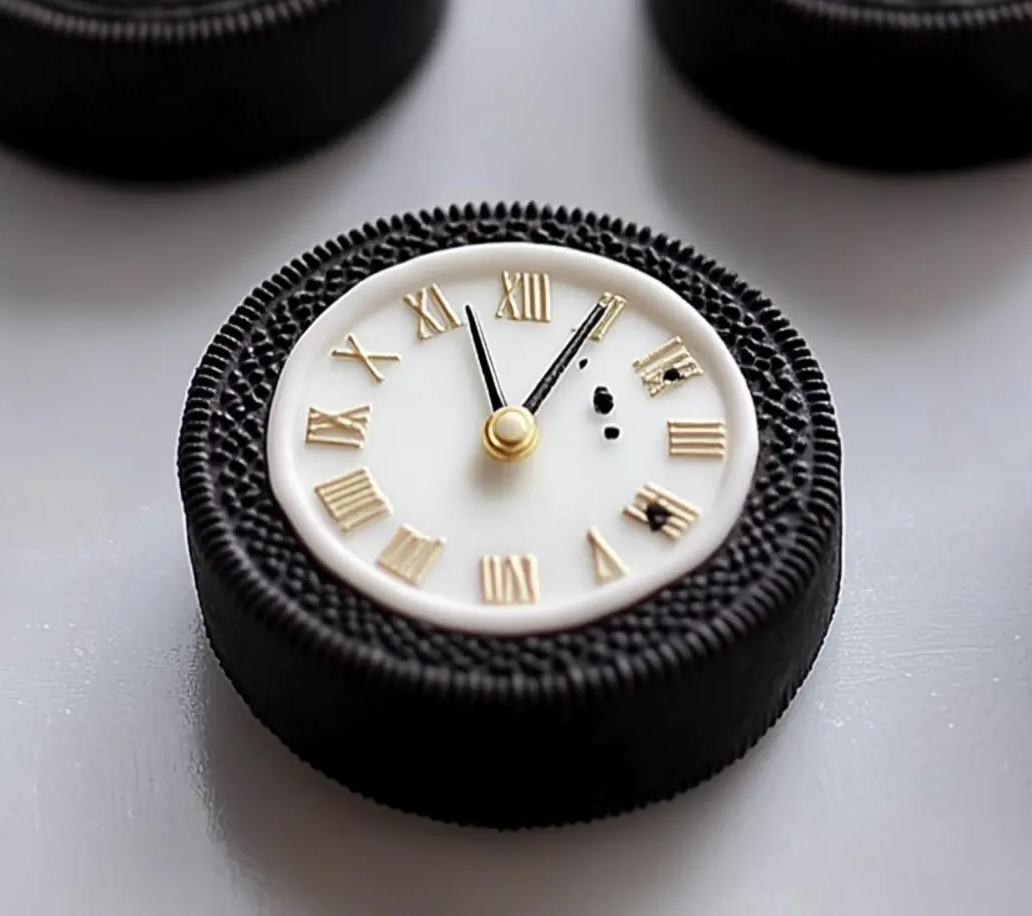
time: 12:57
